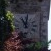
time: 11:01
